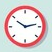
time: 10:13
